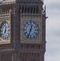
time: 12:33
